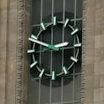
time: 2:48
